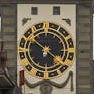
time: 10:20
